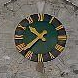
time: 10:37
